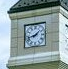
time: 1:42
